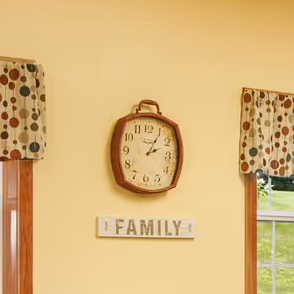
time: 2:06
